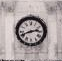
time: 2:41
